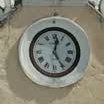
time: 12:24
